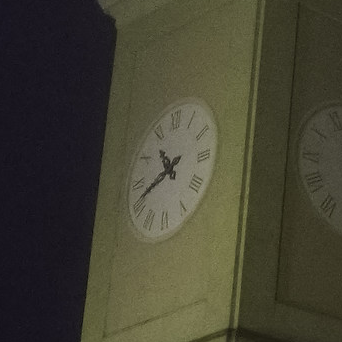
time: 10:41
